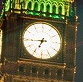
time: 6:44
